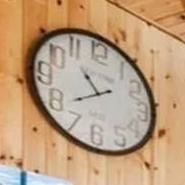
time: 10:39
